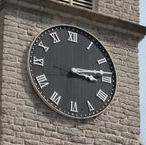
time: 3:13
